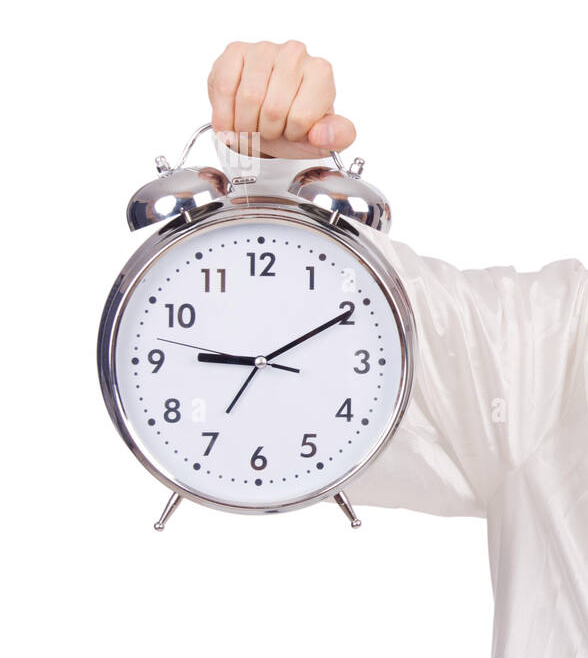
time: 9:10
